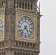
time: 4:36
